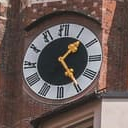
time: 1:24
